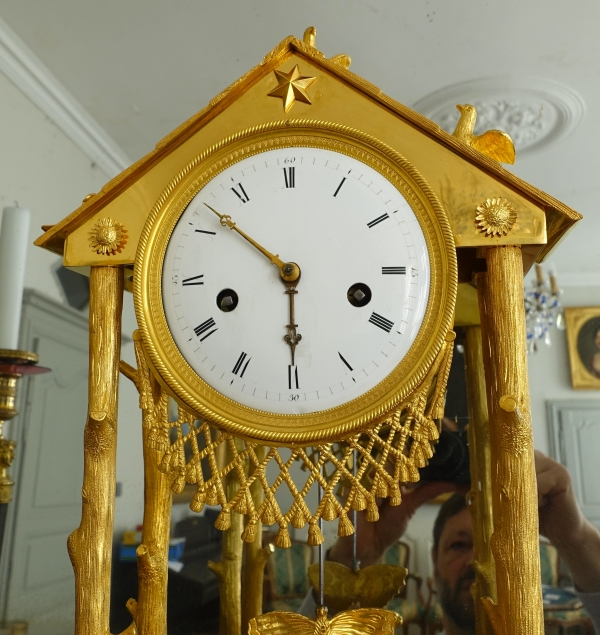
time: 5:51
